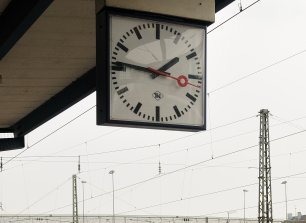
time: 1:46
